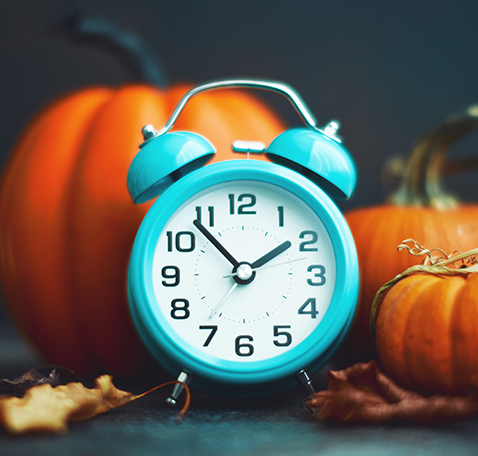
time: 1:53
